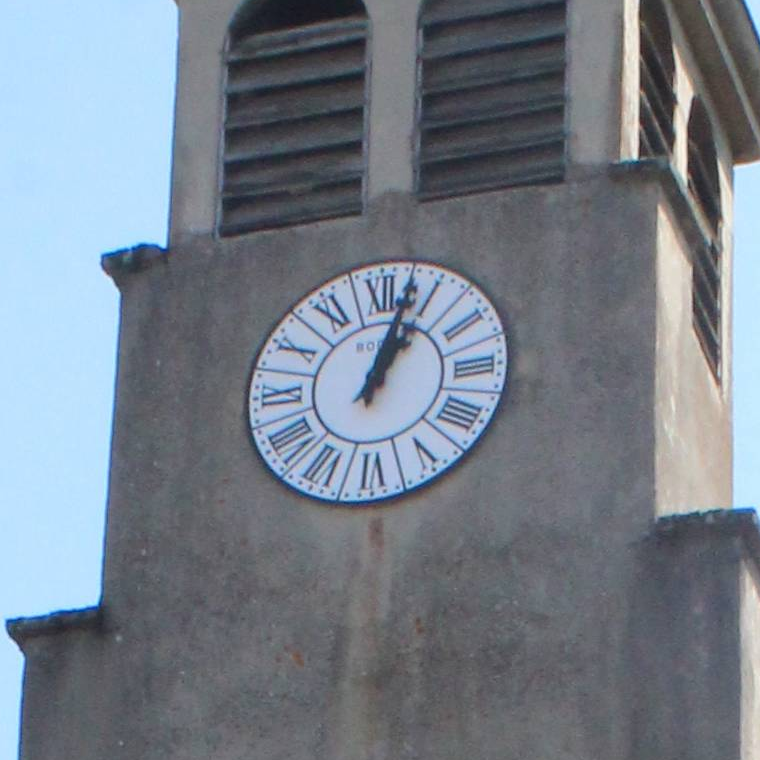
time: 1:02
